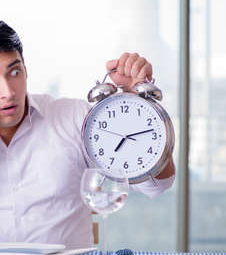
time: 7:13
